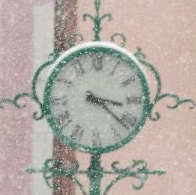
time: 3:21
